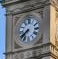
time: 7:37
